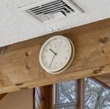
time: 10:35
